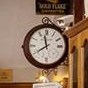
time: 11:40
